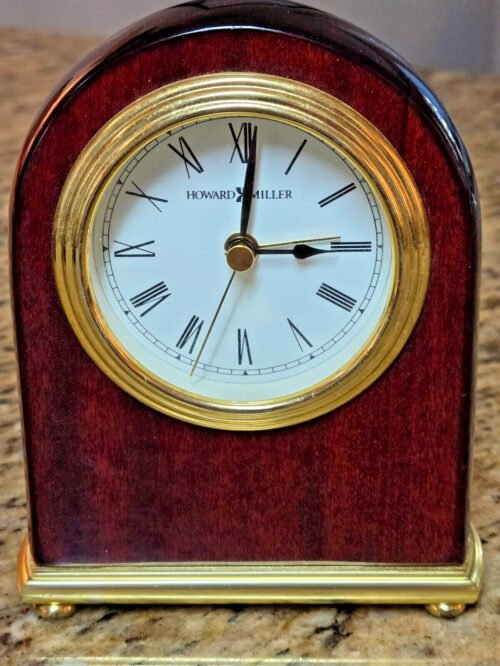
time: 3:01
